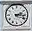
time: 2:16
